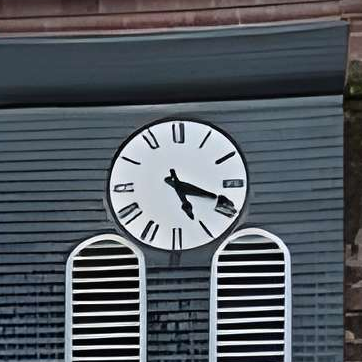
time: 5:18
